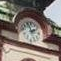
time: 1:56
